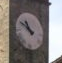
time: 10:50
